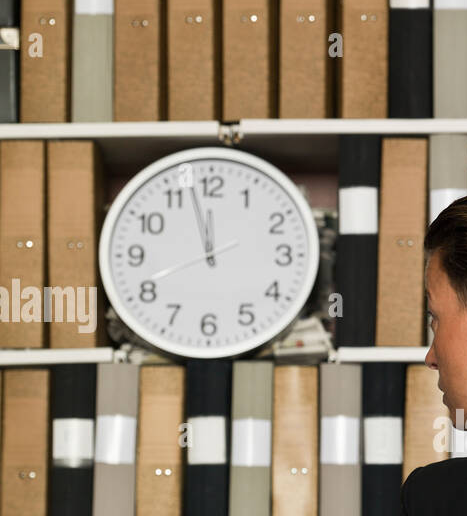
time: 11:57
